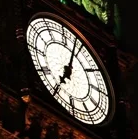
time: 7:03
